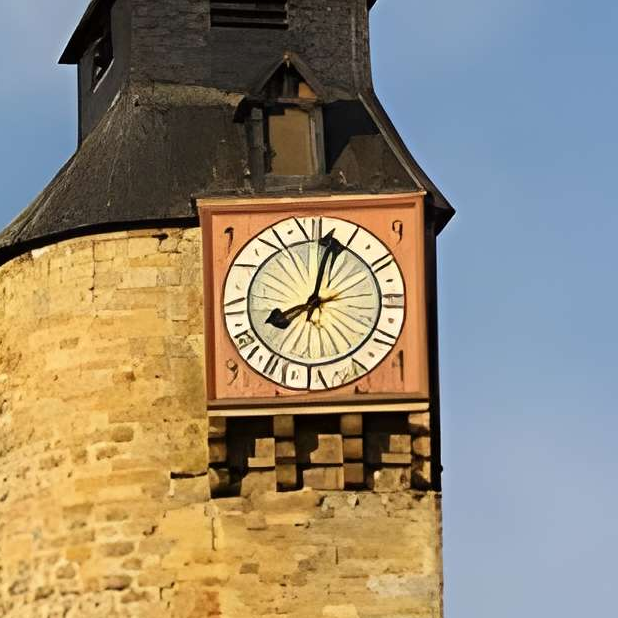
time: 8:03
